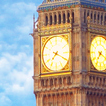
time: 7:19
